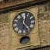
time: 12:22
